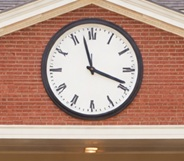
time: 3:57
